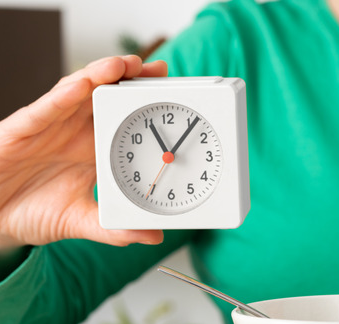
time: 11:06
